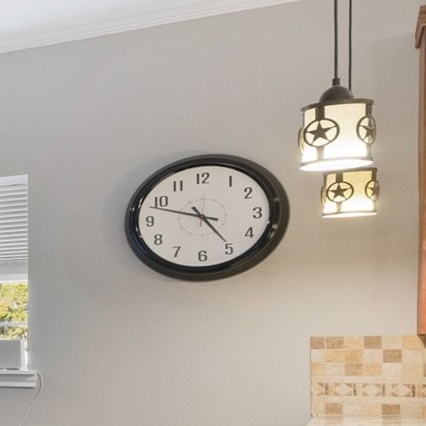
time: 4:48
